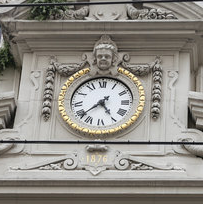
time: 4:38
